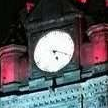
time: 5:18
